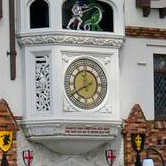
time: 11:40
